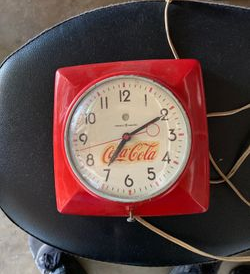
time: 7:10
